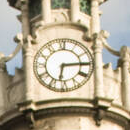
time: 6:14
